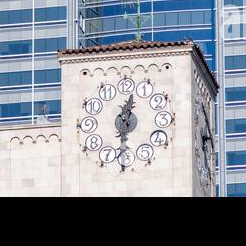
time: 12:30
